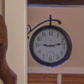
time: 9:12
